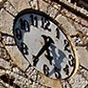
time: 5:35
